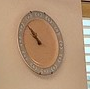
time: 9:51
